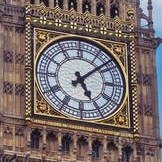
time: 5:08
